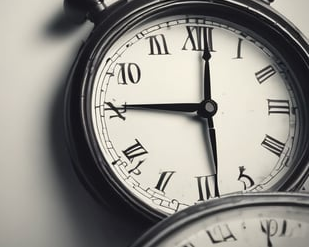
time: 5:45
